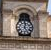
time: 12:24
